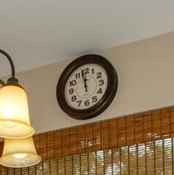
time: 11:58
